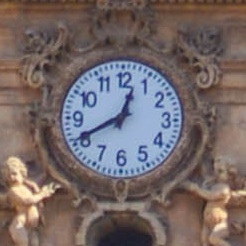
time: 12:40
